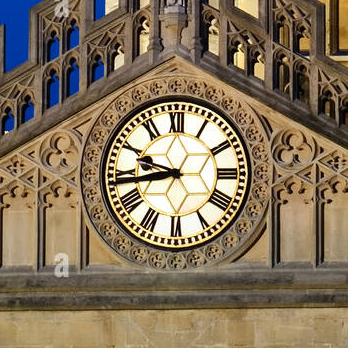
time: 9:43
